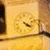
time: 4:21
